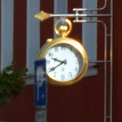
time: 9:39
